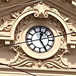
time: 12:24
